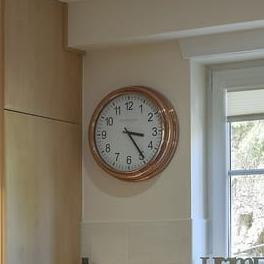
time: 3:24
